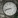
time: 8:42
